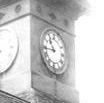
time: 10:43
